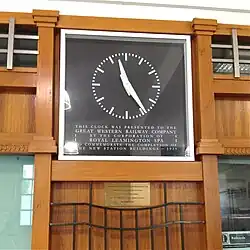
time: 4:57
